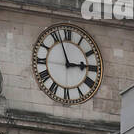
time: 2:56
